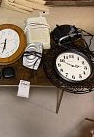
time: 2:49
